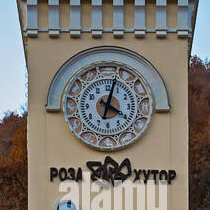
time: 4:02
